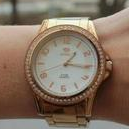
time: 1:16
